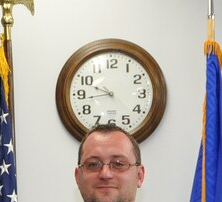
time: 9:43
